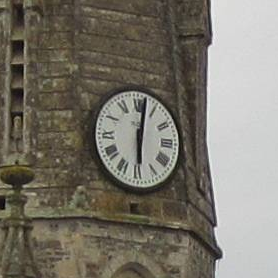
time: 6:01
